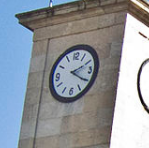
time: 2:20
